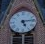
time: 5:13
